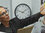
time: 1:47
